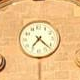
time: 7:22
